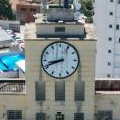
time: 8:41
